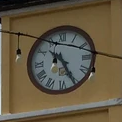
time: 10:25
